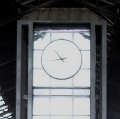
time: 10:43
